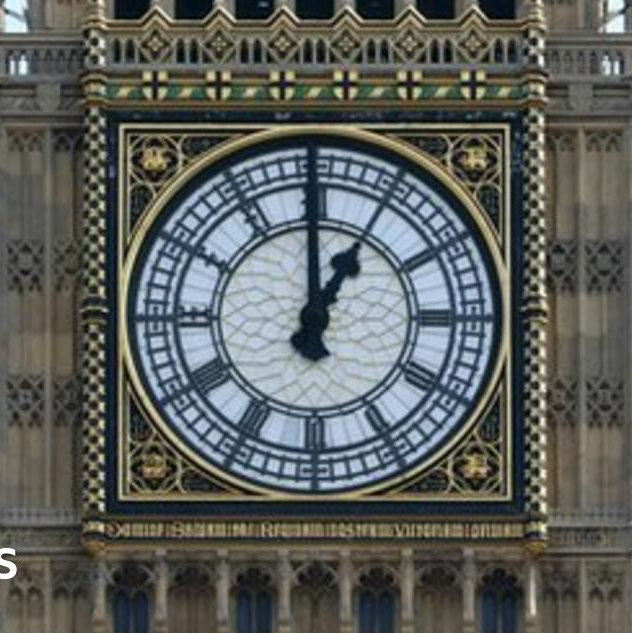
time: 1:00
